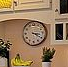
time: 3:20
